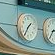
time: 1:35
